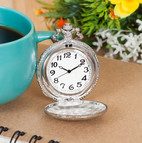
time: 10:10
